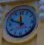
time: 11:48
